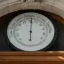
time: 6:01
